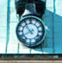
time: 7:53
